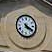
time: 4:19
